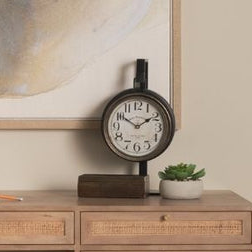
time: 1:50
